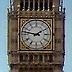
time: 1:46
